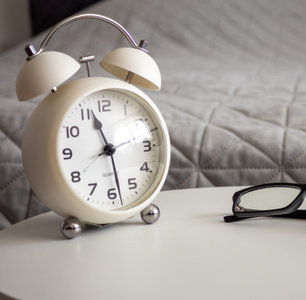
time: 11:28
